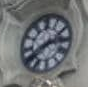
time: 2:40
